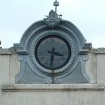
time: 3:31
